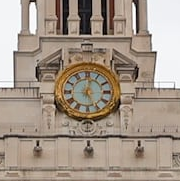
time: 12:26
